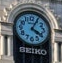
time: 4:04
